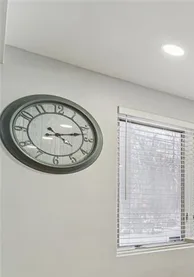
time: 4:13
